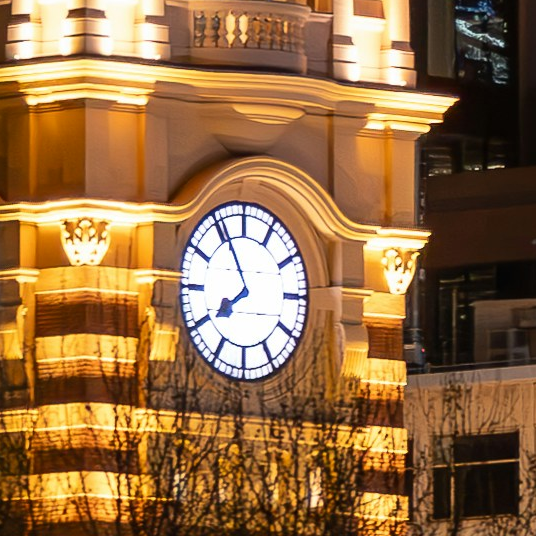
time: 7:55
